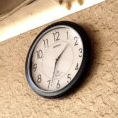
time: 1:33
